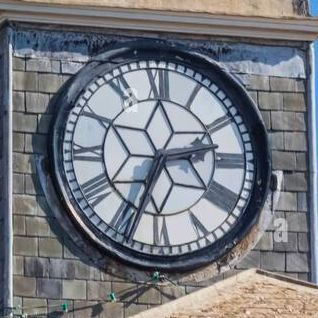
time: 2:34
